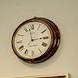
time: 2:58
